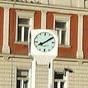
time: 8:09
